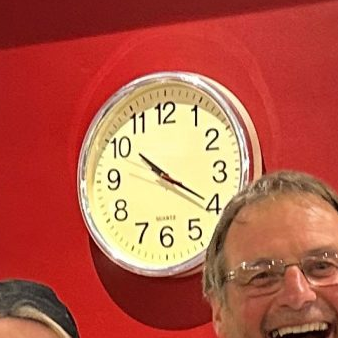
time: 10:20
